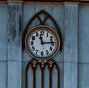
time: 11:14
